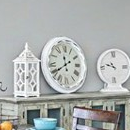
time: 11:40
